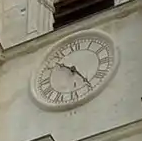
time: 10:24
